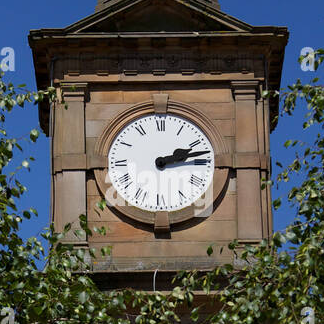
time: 2:12
